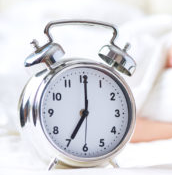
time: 7:00
